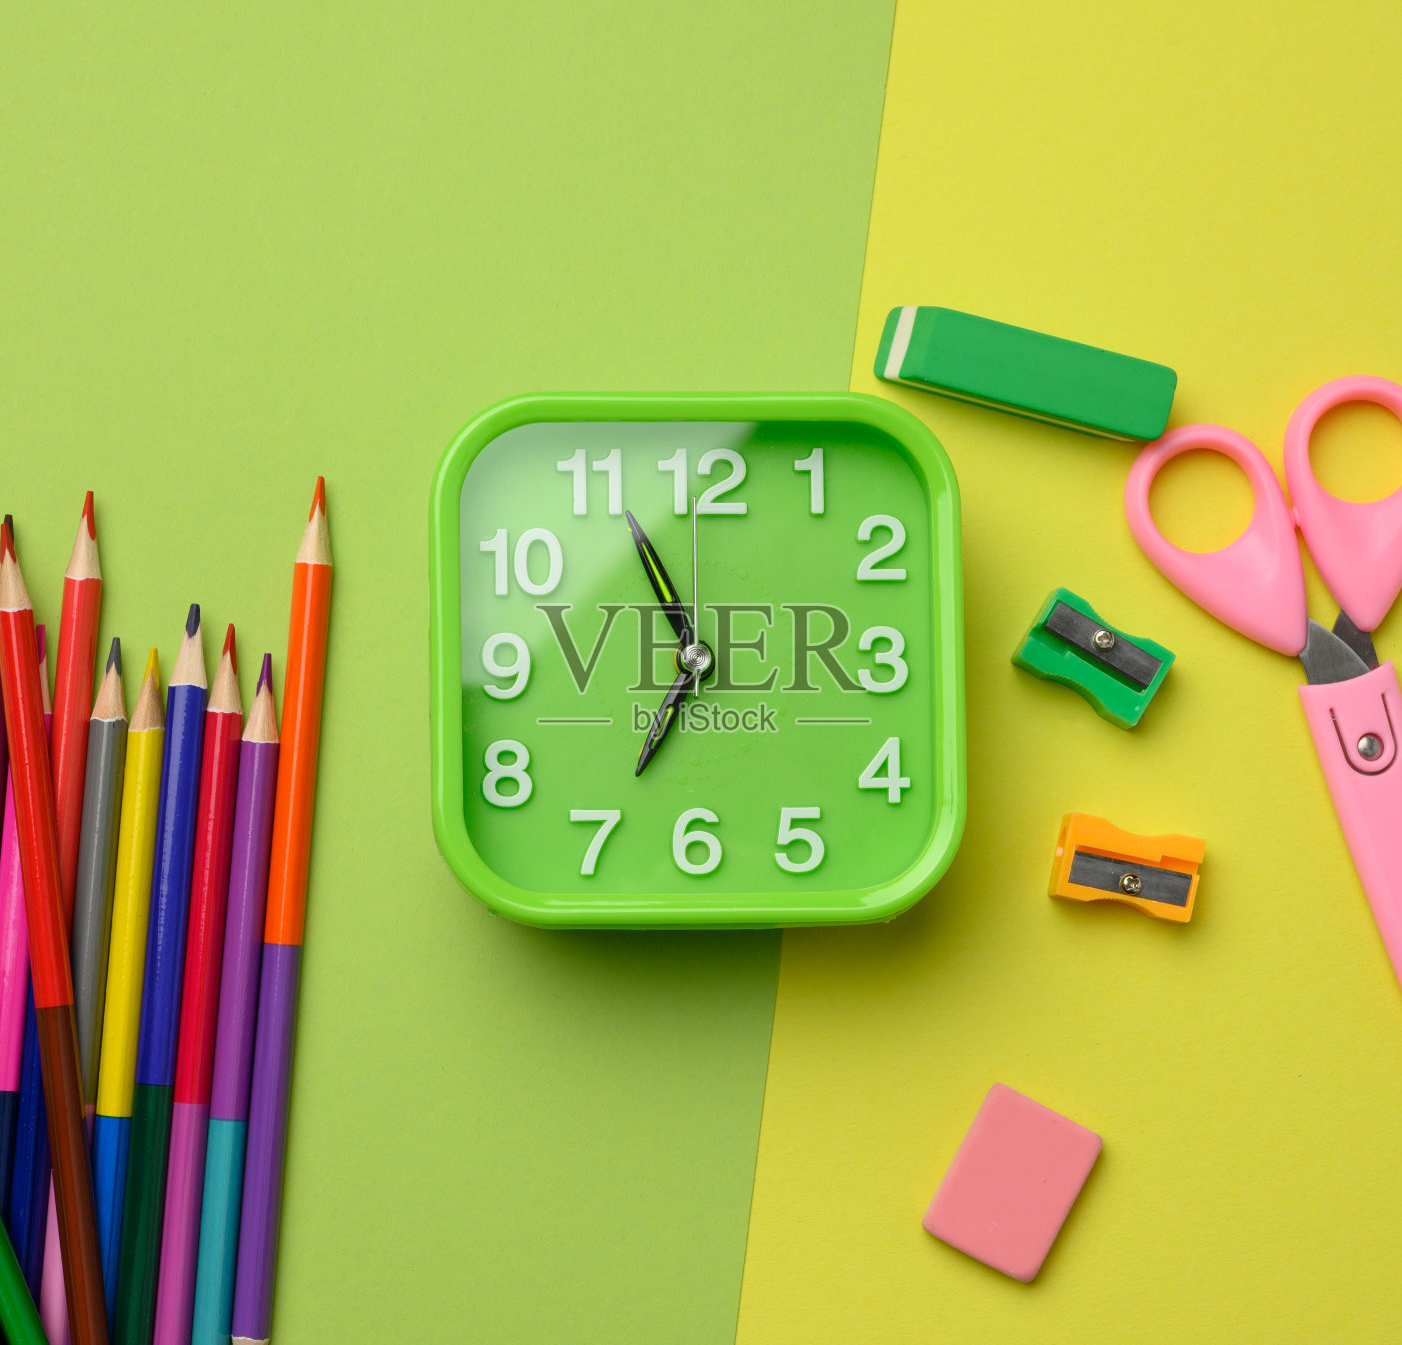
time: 6:55
